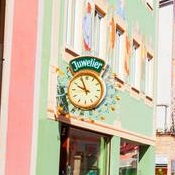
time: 9:56
